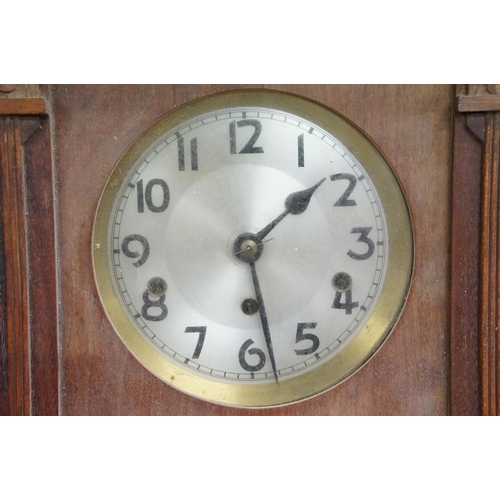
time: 1:28
